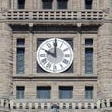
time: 10:00
